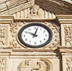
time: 10:02
